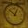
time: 12:52
